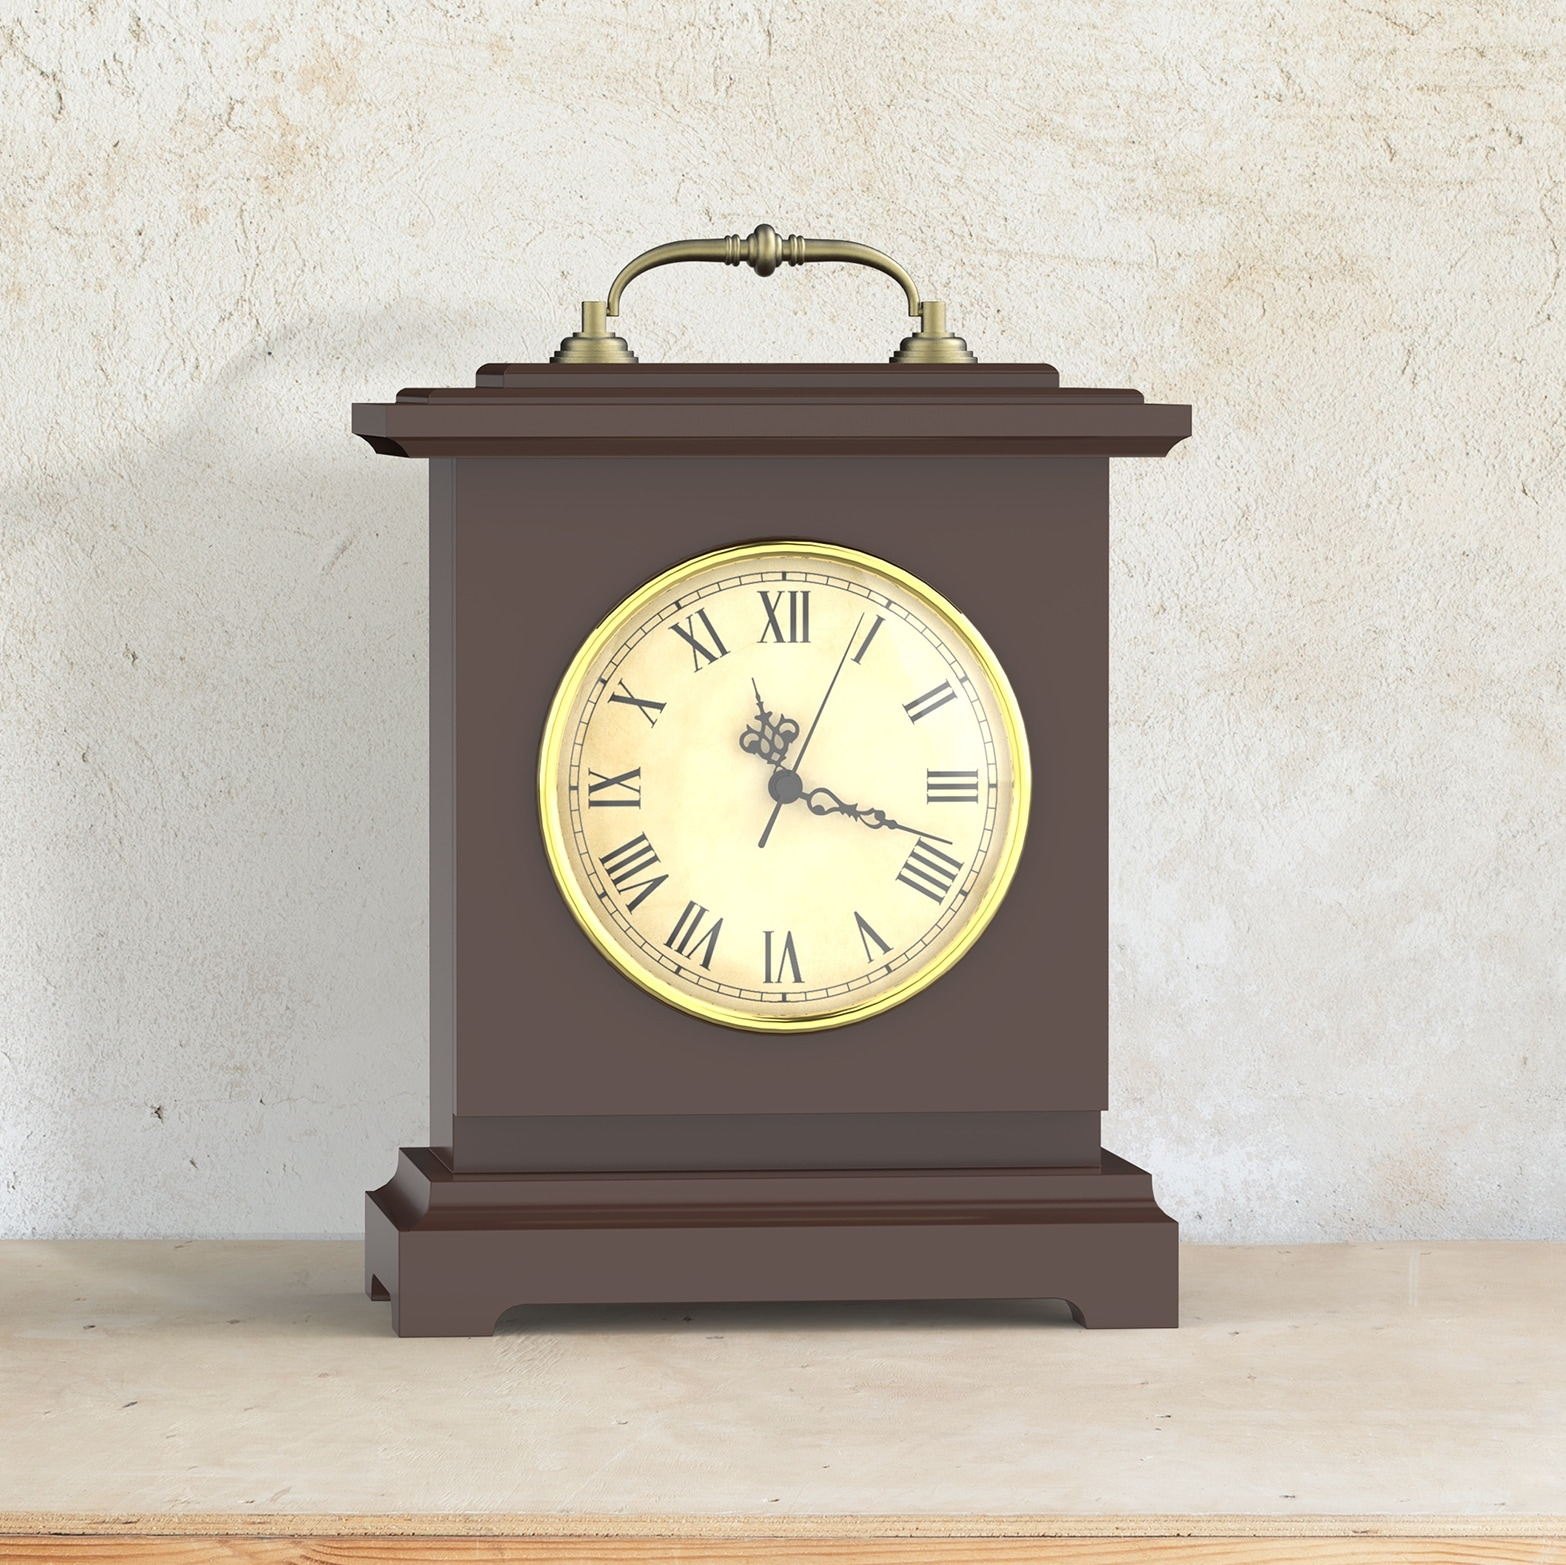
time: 11:18
